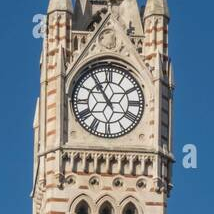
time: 10:54
